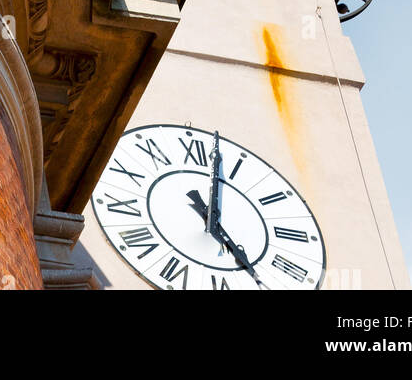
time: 5:02
